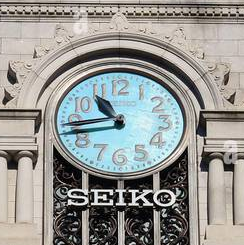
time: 10:43
